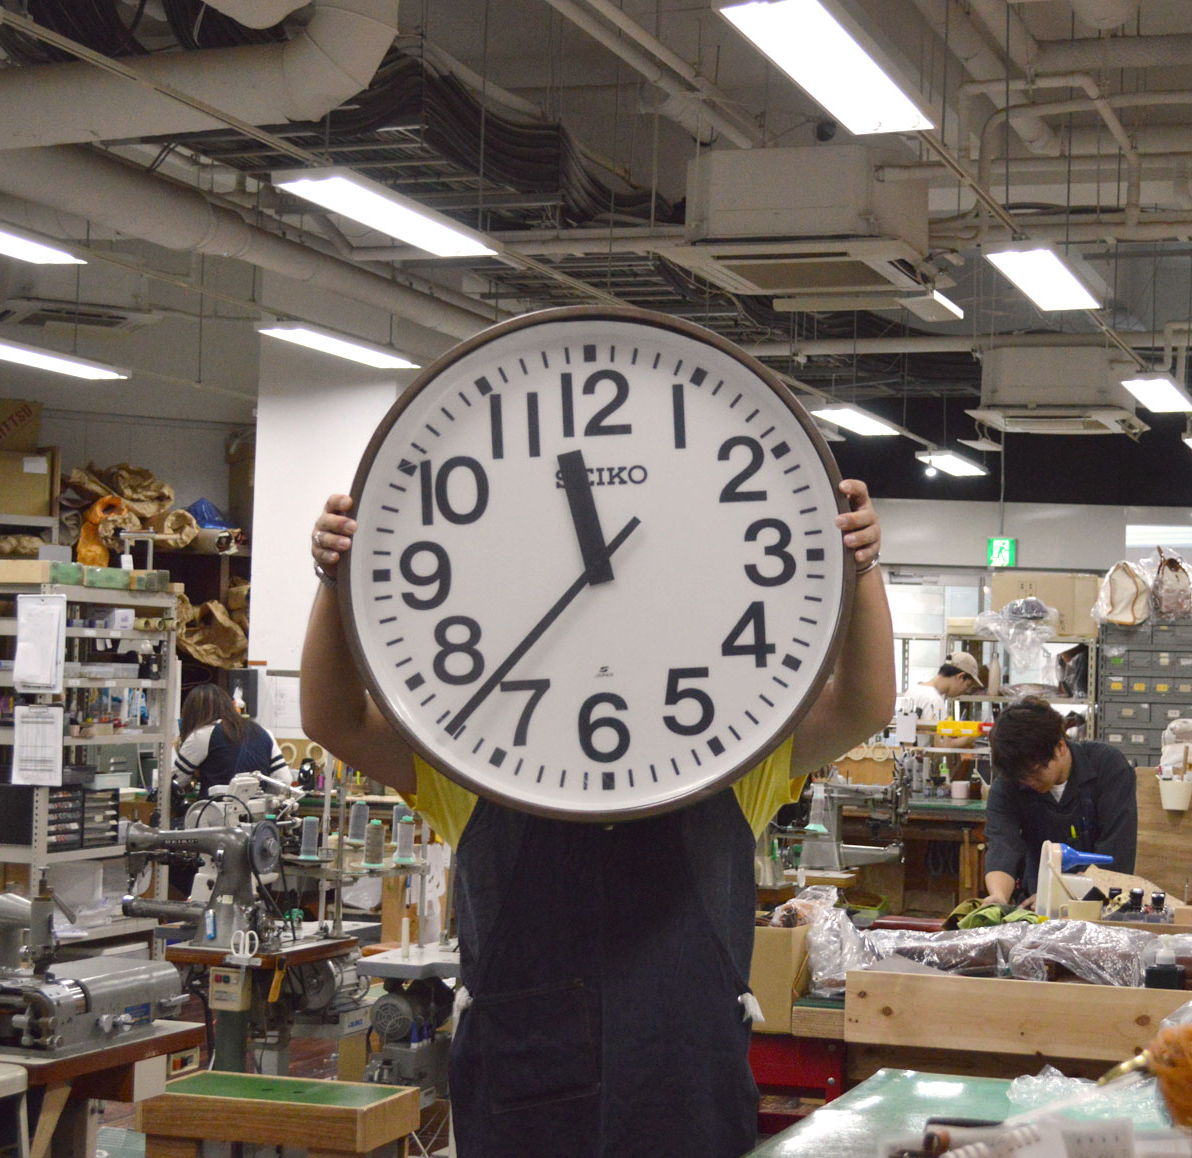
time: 11:37
